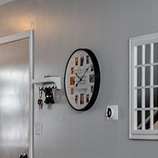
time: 8:07
